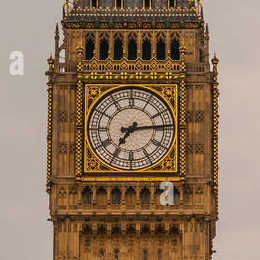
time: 7:14
